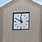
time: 11:49
